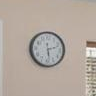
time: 2:28
